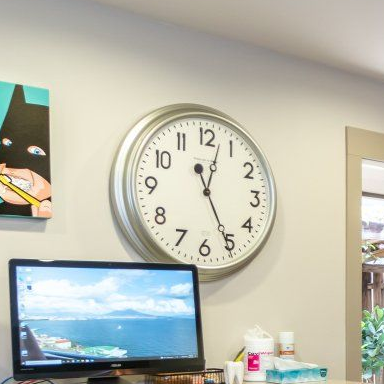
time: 12:25
